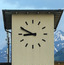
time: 8:49
